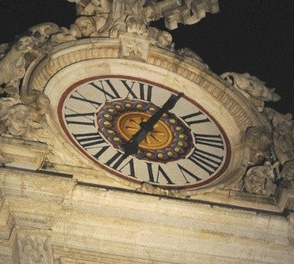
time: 7:05
